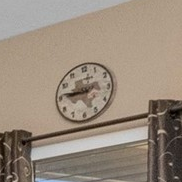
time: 8:45
